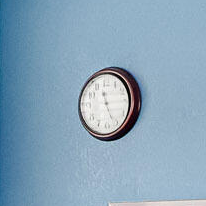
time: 11:26
